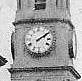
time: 2:09
